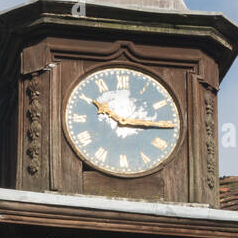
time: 10:15
